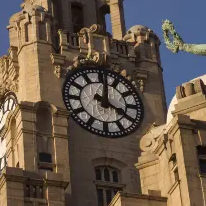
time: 4:01
